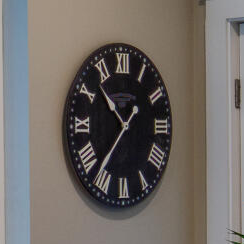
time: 10:36
